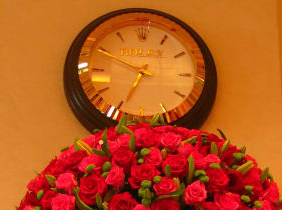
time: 6:49
